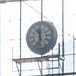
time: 11:32
